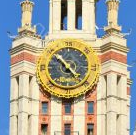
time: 10:22
